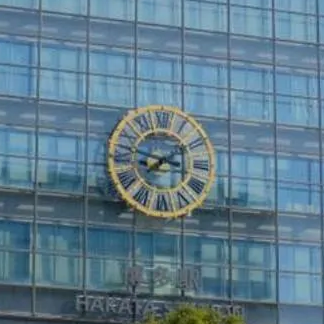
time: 7:47
